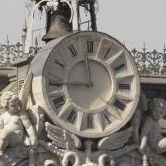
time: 11:44
